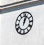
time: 1:02
